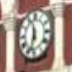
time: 11:32
